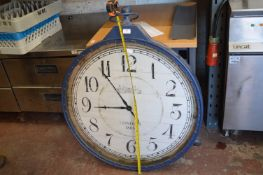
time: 8:53
